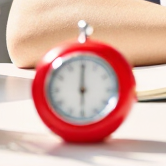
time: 6:00
